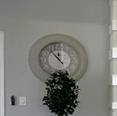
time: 11:53
